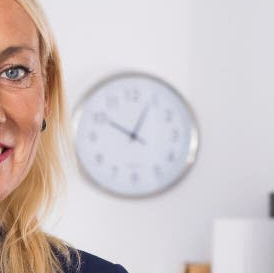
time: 12:50
